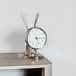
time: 5:15
